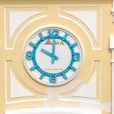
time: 10:00
